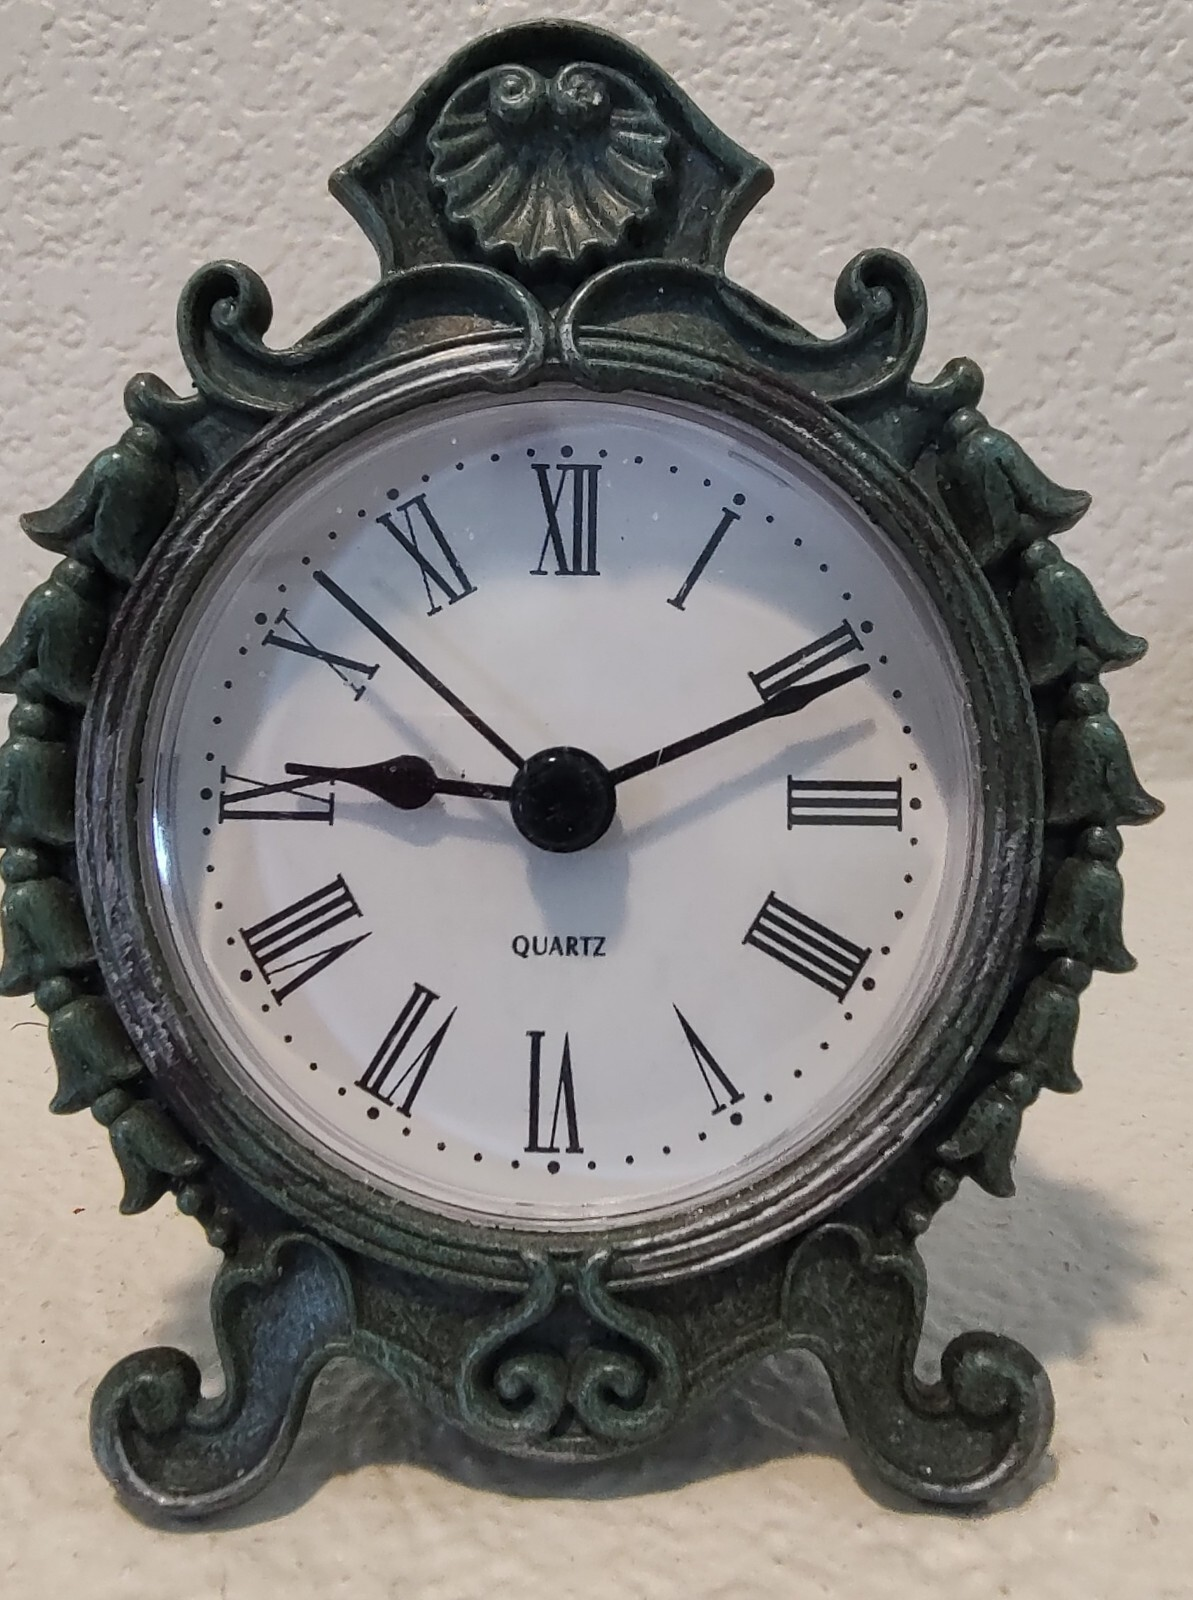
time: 9:10
